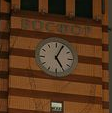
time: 5:04
